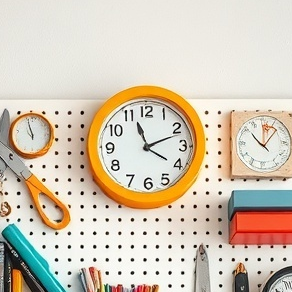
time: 11:11
